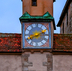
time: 8:11
